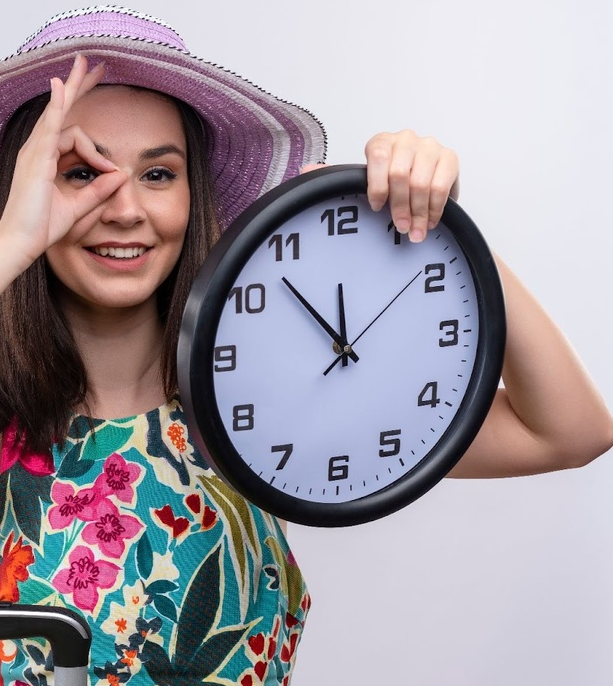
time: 11:52
